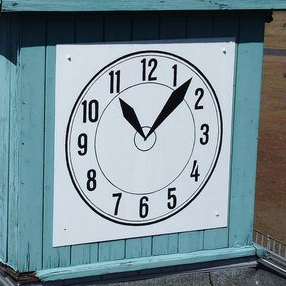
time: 11:07
